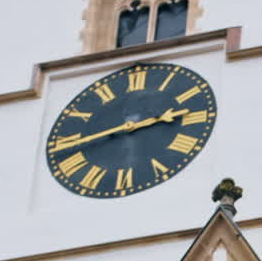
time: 2:42
